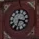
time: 3:33
